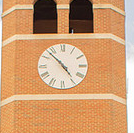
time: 4:52
